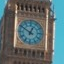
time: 12:50
